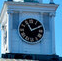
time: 11:10
